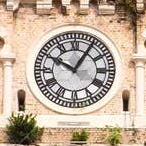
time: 10:05
